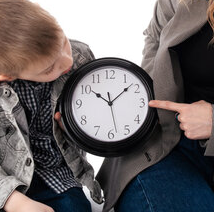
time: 10:08
